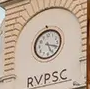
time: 5:18
